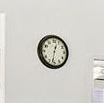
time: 12:32
